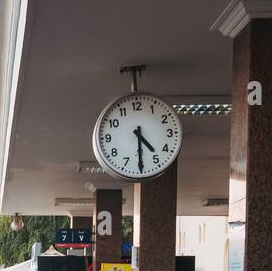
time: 4:30
